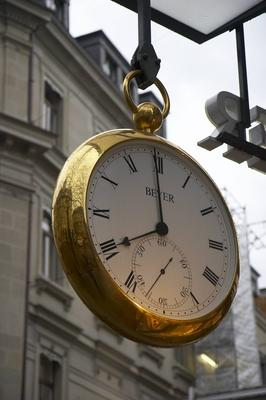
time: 7:59
